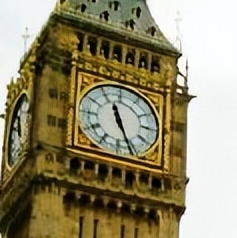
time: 11:26
